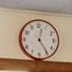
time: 12:24
